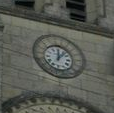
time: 12:07
